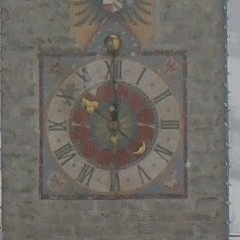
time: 10:00
